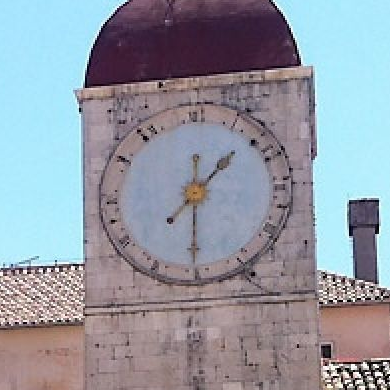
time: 1:30
